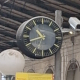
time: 10:42
